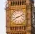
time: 8:11
